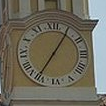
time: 7:05
